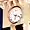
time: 6:18
